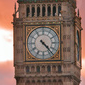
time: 4:23
